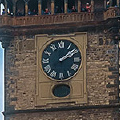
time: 2:09
